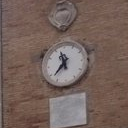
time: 11:37
